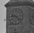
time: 9:22
